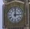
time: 3:00
